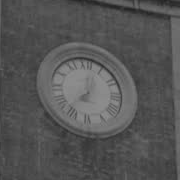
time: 7:01
